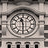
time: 11:29
